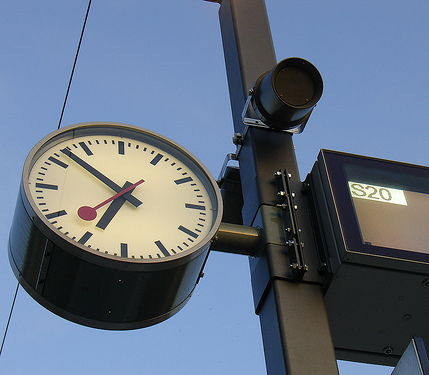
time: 6:52
